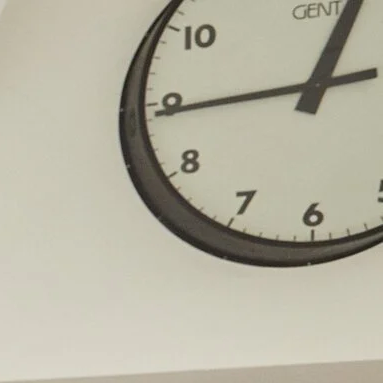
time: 12:44
